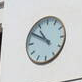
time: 10:50
